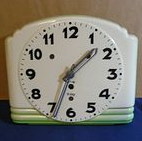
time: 1:33
